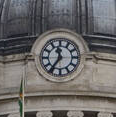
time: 11:36
